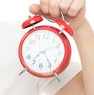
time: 7:24
